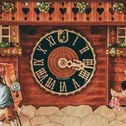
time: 3:17
